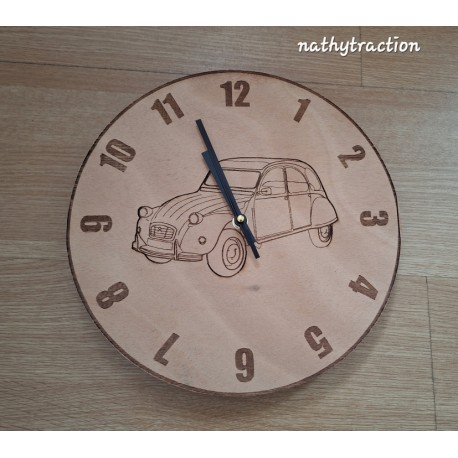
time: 10:56
